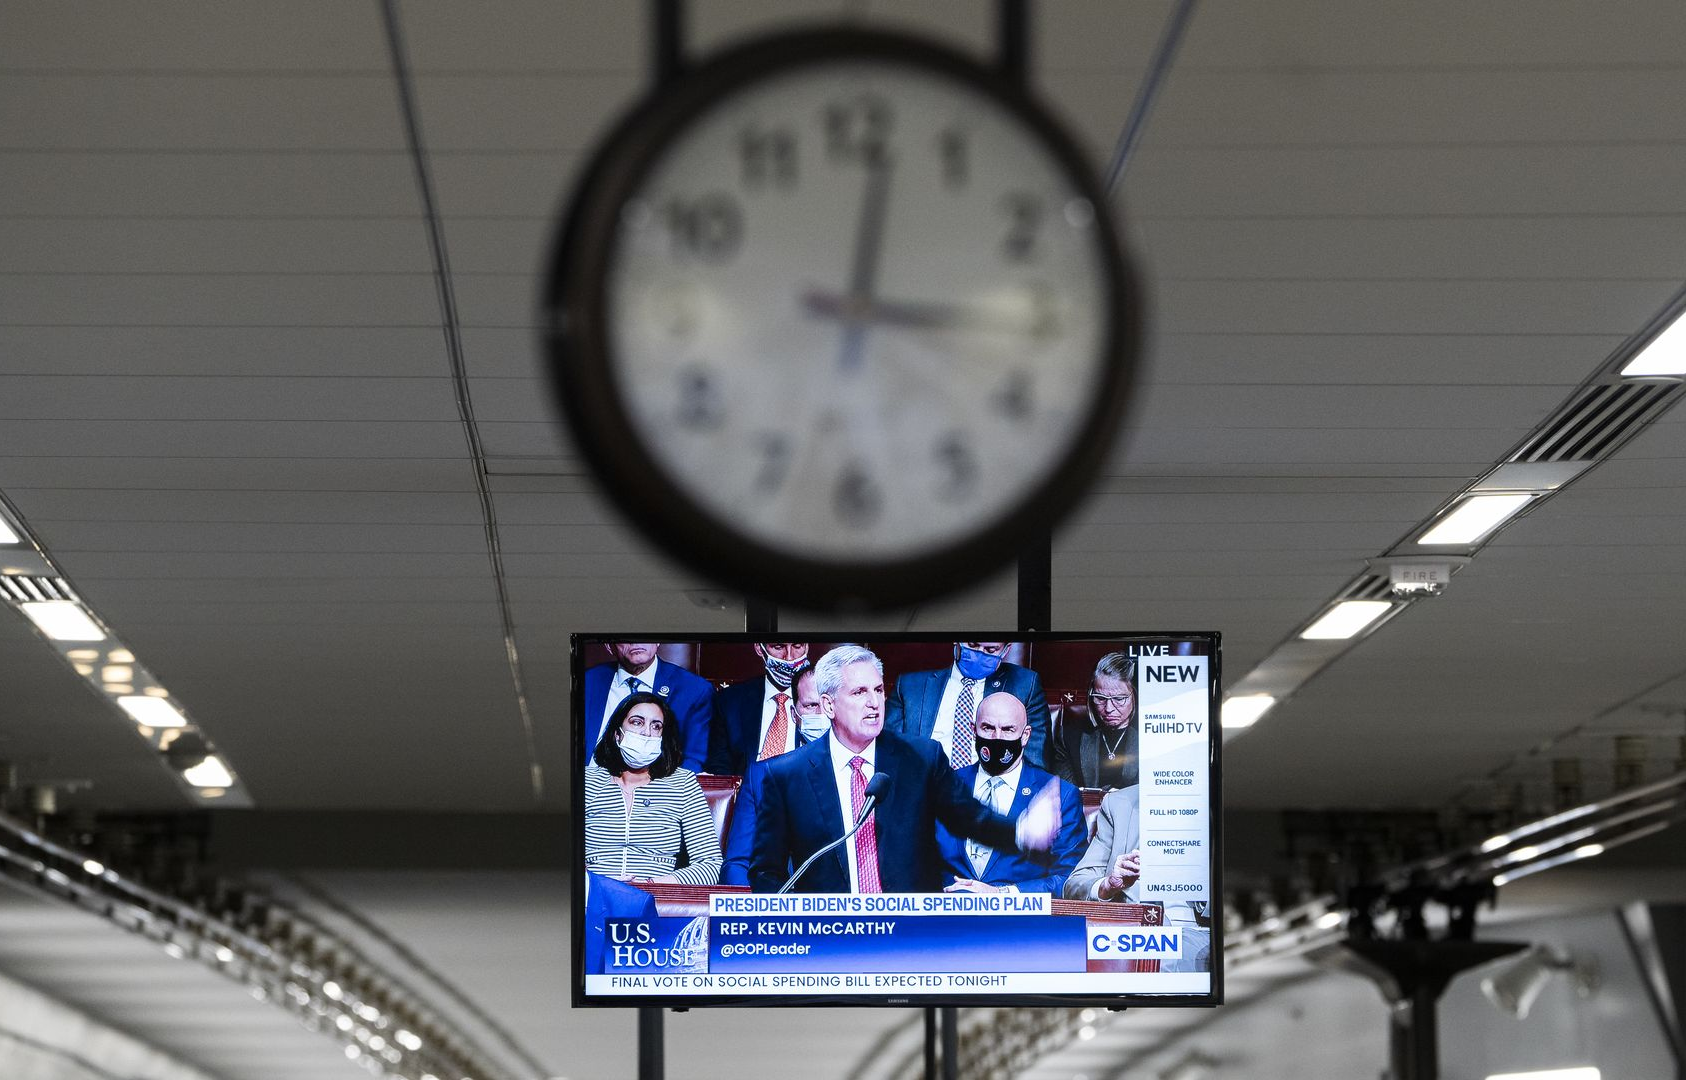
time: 3:01
